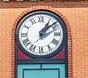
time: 1:08
